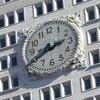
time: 2:40
